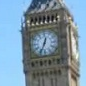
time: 12:33
